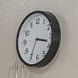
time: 3:34
